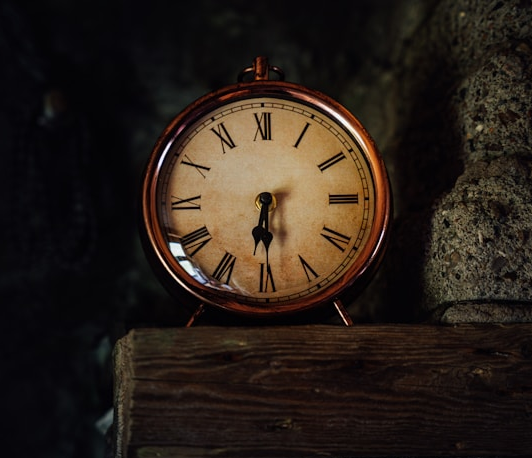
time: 6:29
